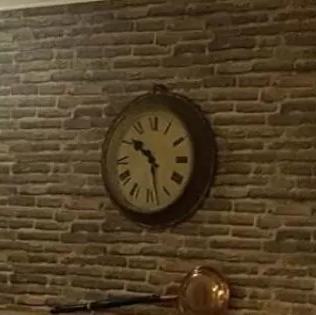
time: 10:28
